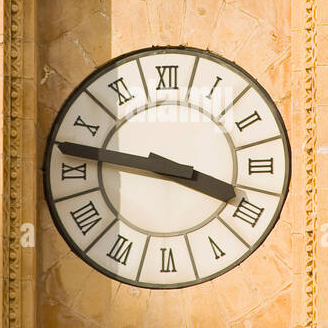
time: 3:47
